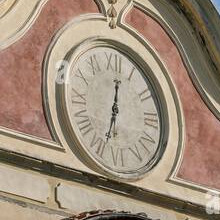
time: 12:33
